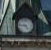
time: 4:46
